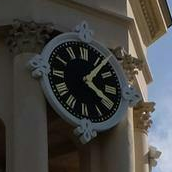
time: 4:06
